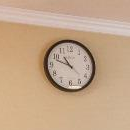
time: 10:47
